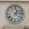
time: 1:13
